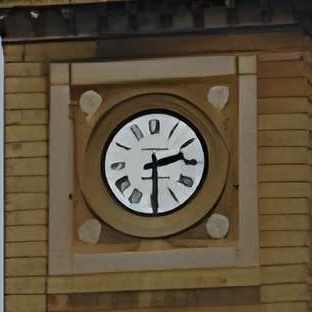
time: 2:29
